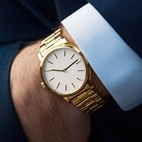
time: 9:08
